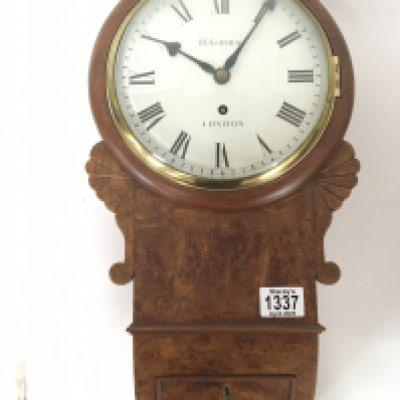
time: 10:05
